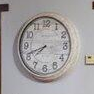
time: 7:41
